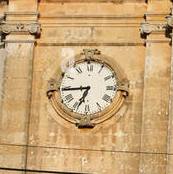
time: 6:44
